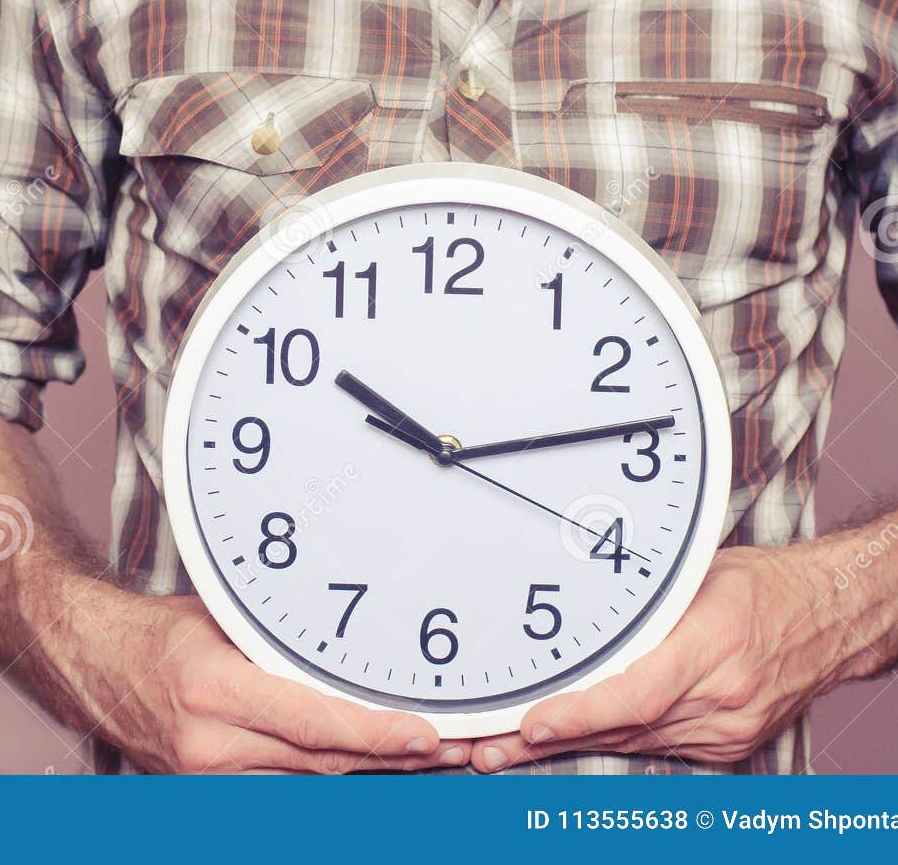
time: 10:13
